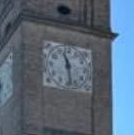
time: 11:28
